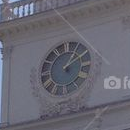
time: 1:09
